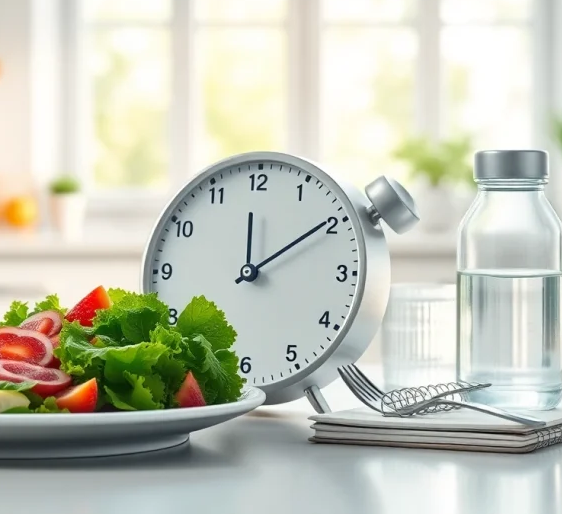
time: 12:09
